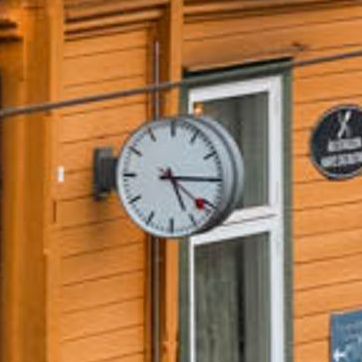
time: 5:15
